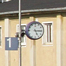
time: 5:15
